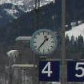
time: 1:36
